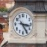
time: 3:24
